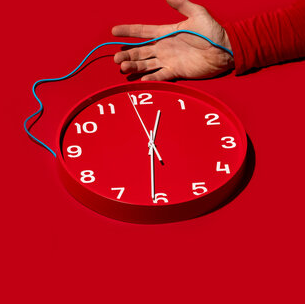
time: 12:30
